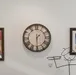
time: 1:29
